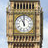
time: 11:00
